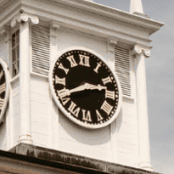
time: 2:40
